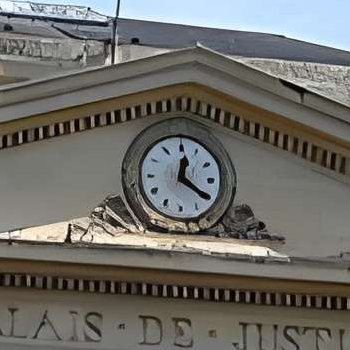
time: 12:20
